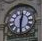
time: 12:30
